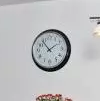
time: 1:53
